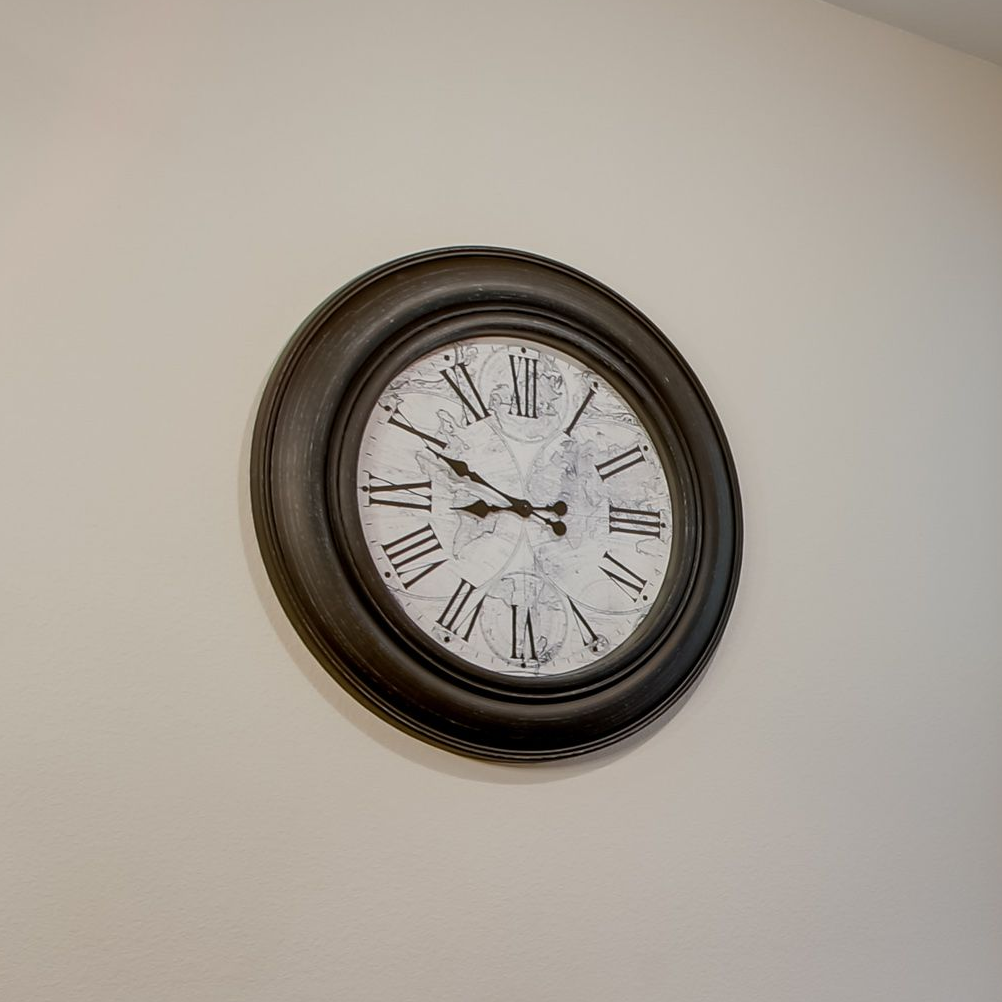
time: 8:49
